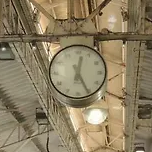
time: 12:25
